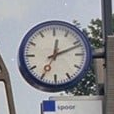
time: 12:11
